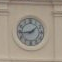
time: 1:43
